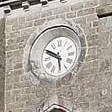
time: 5:49
